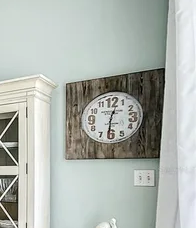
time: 12:31
